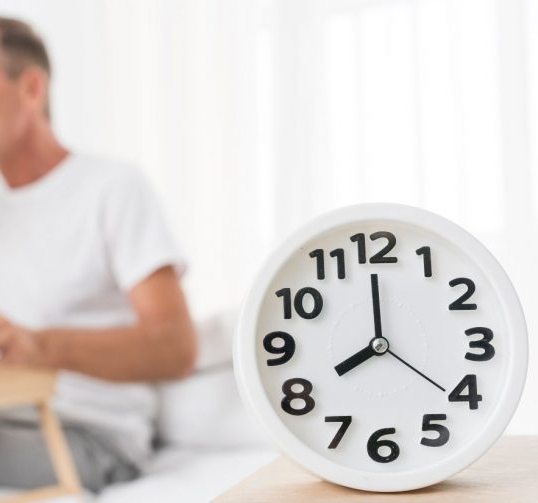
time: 7:59
